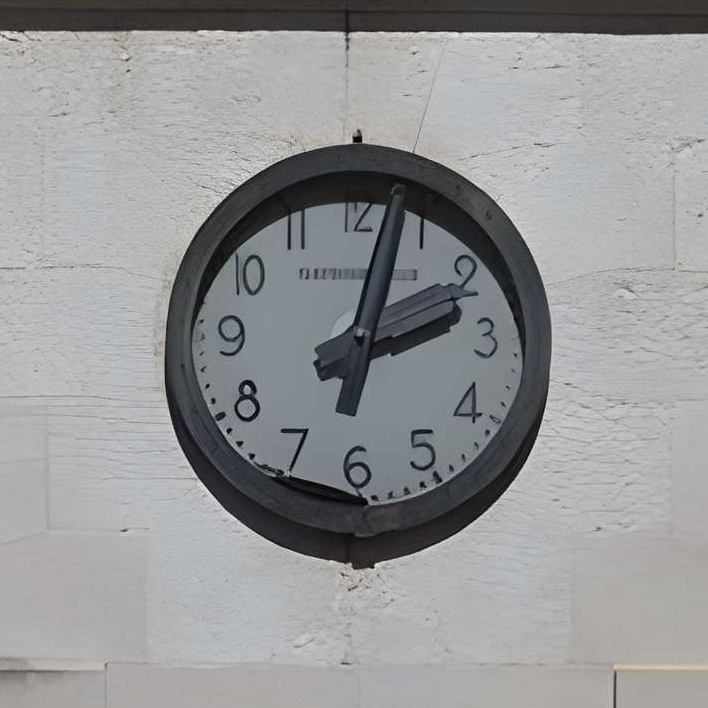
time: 2:02
